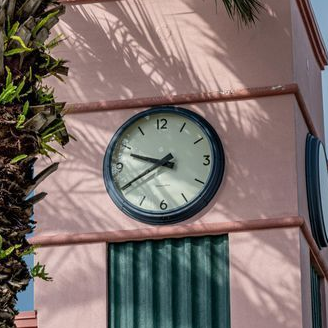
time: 9:40
